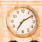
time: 7:09
